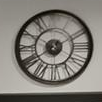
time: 8:10
